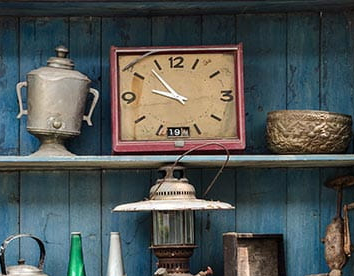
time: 9:53
